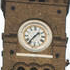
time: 1:36
